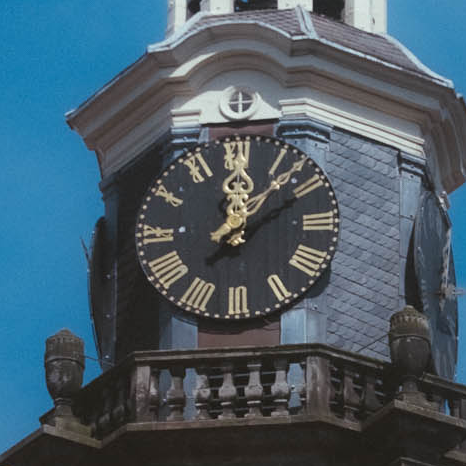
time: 12:07
